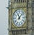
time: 11:07
